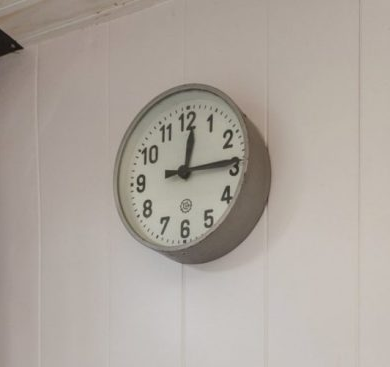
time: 12:14
